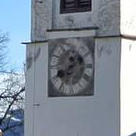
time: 1:40
